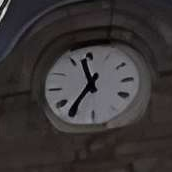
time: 11:36
